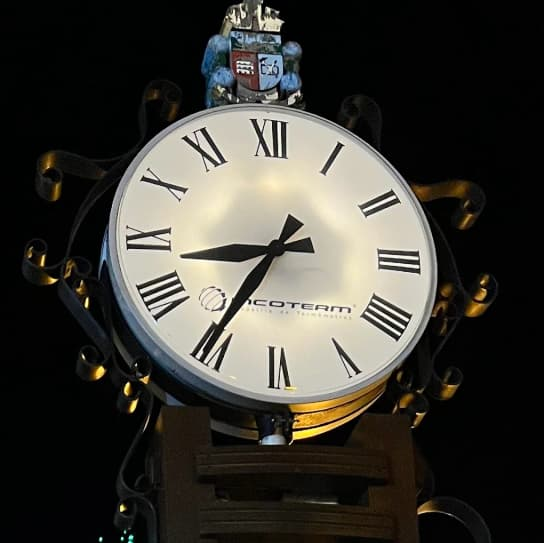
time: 8:35
